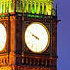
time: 9:50
